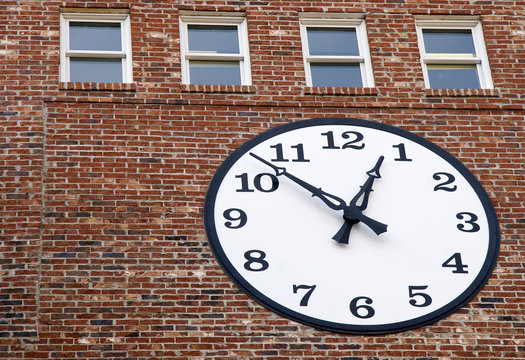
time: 12:52
